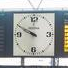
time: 9:49
